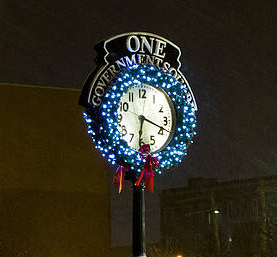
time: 6:18
